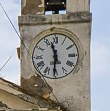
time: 11:30
